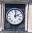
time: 2:01
